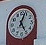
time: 5:03
